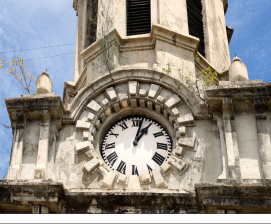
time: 1:02
